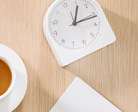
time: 1:16
